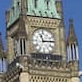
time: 11:13
